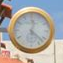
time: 12:22
